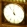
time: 11:54
